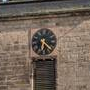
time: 6:21
